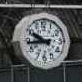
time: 9:43
